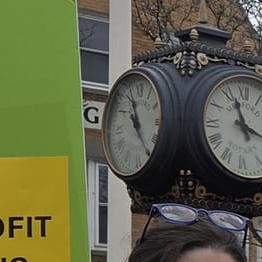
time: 10:56
